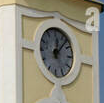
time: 12:06
